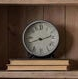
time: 8:12
